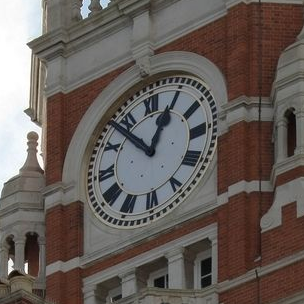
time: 12:53
